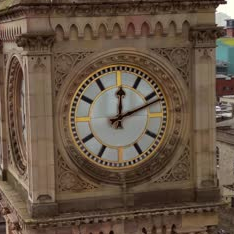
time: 12:11
